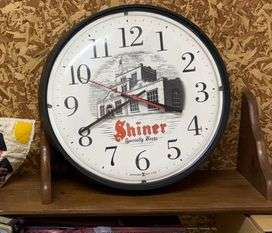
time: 3:40
